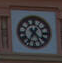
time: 4:35
